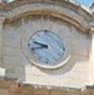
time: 9:42
